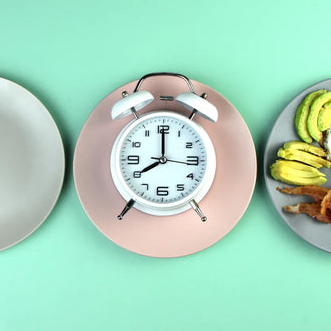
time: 8:00
